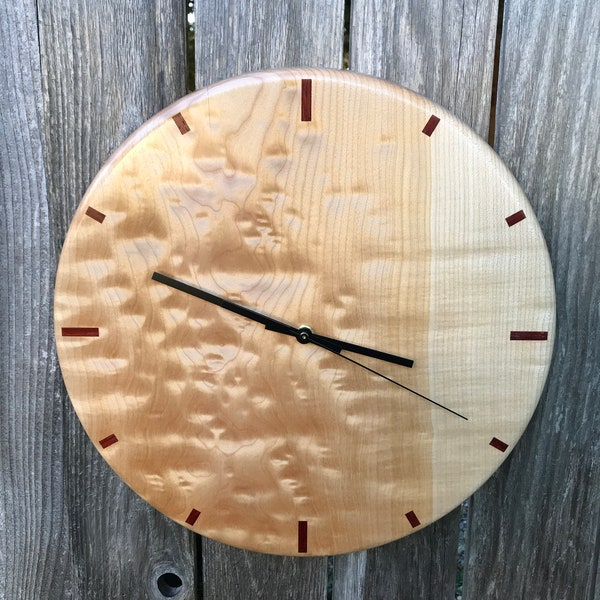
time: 3:48
